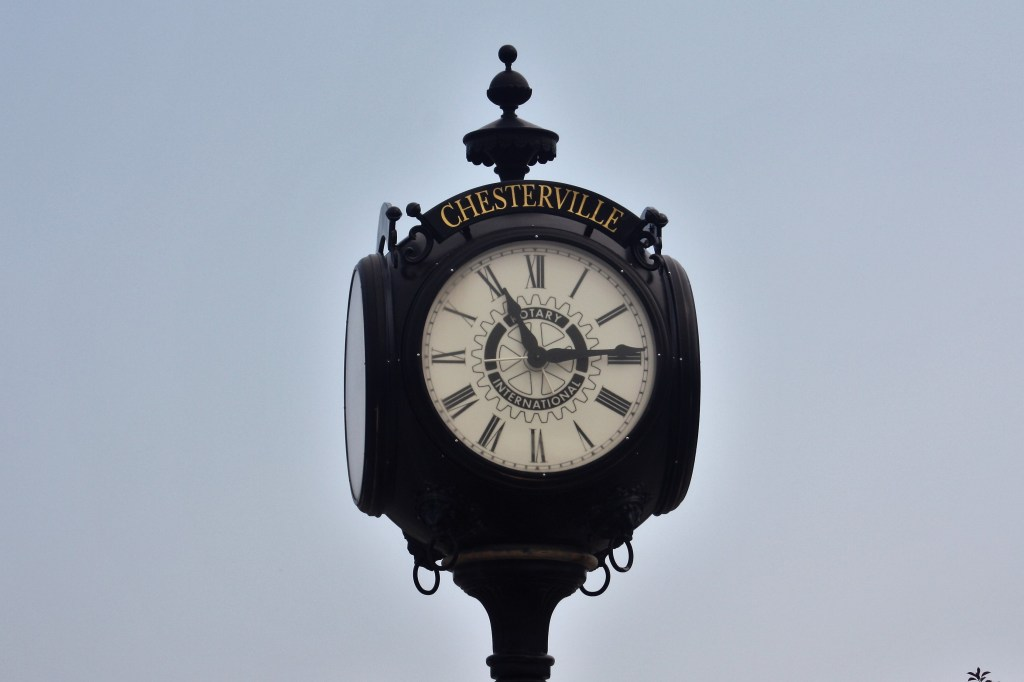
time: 11:14
